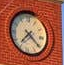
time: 7:21
